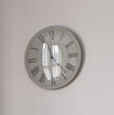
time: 11:30
